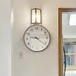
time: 9:21
